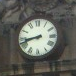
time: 8:42
